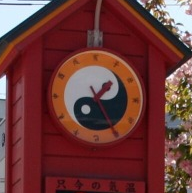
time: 1:25
